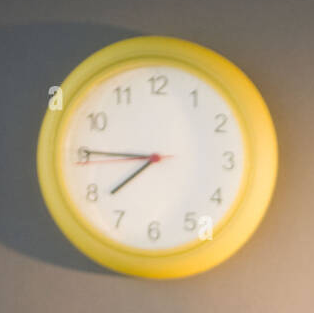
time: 7:45
